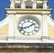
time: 1:42
